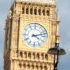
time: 4:12
